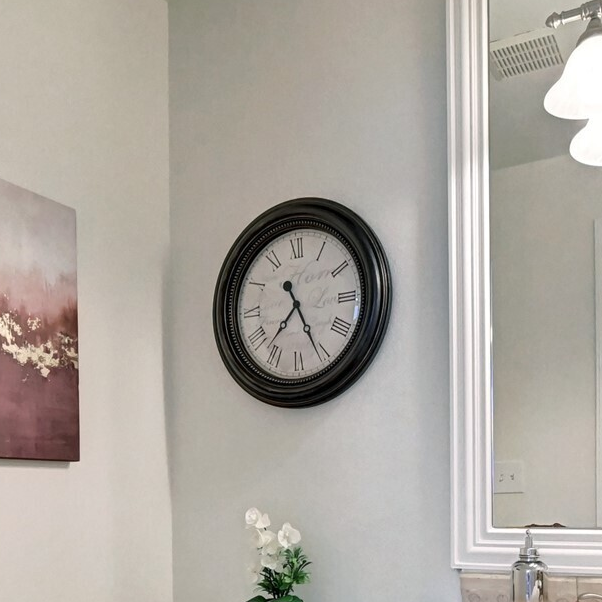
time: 7:25
